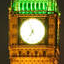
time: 6:56
